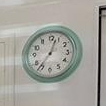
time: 12:36
